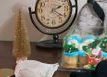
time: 2:21
